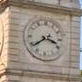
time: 3:39
